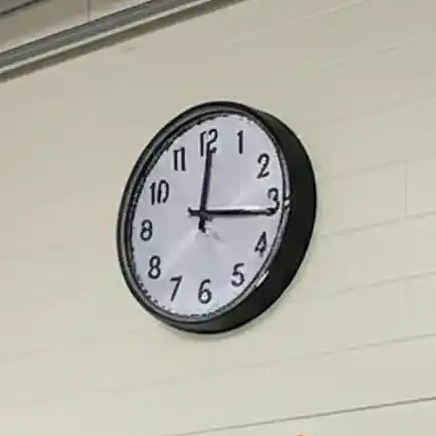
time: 12:16
